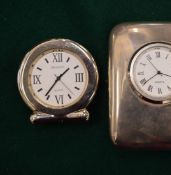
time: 1:36
